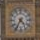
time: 4:35
